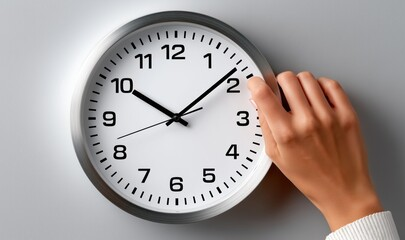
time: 10:08
